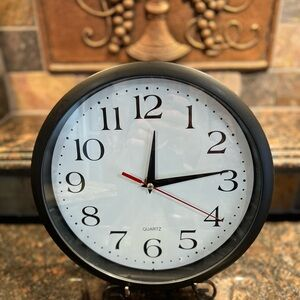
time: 12:13
